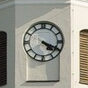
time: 4:19
